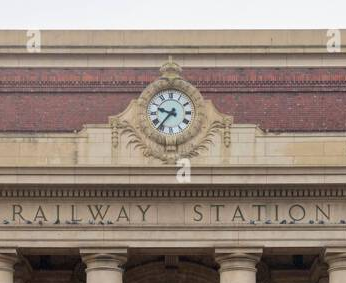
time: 9:36
